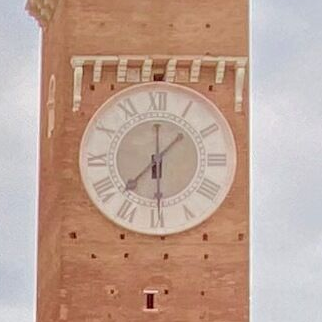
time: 1:37
